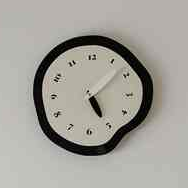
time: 5:07
